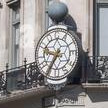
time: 9:35
